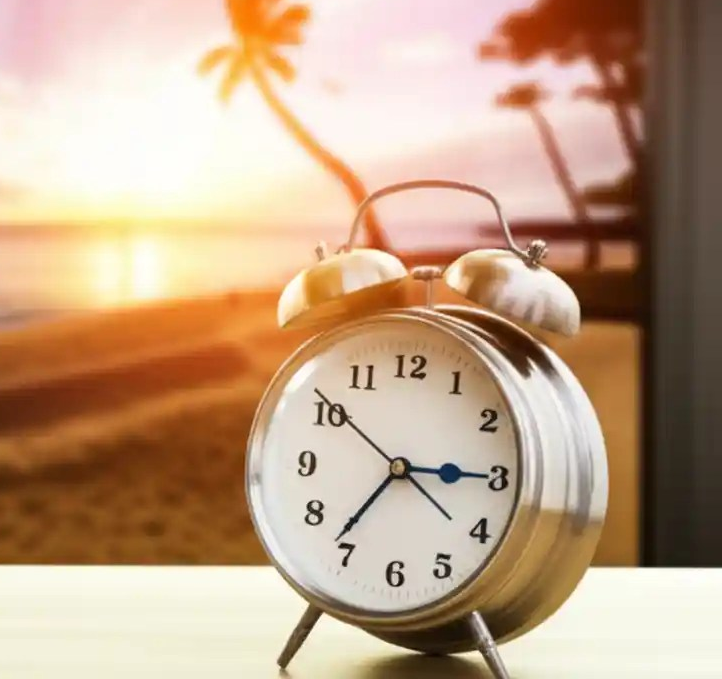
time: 7:15
